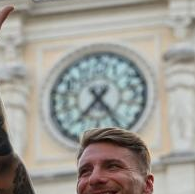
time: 7:23
